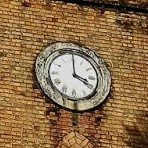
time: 4:00
